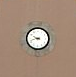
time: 9:42
